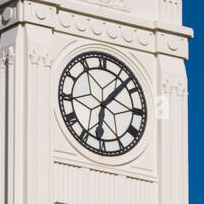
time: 6:07
